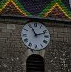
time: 11:11
